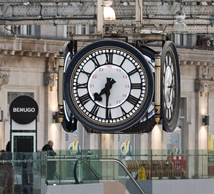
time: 7:30
